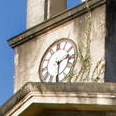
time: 2:29
